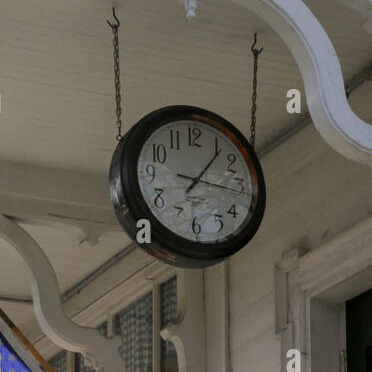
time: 1:16
